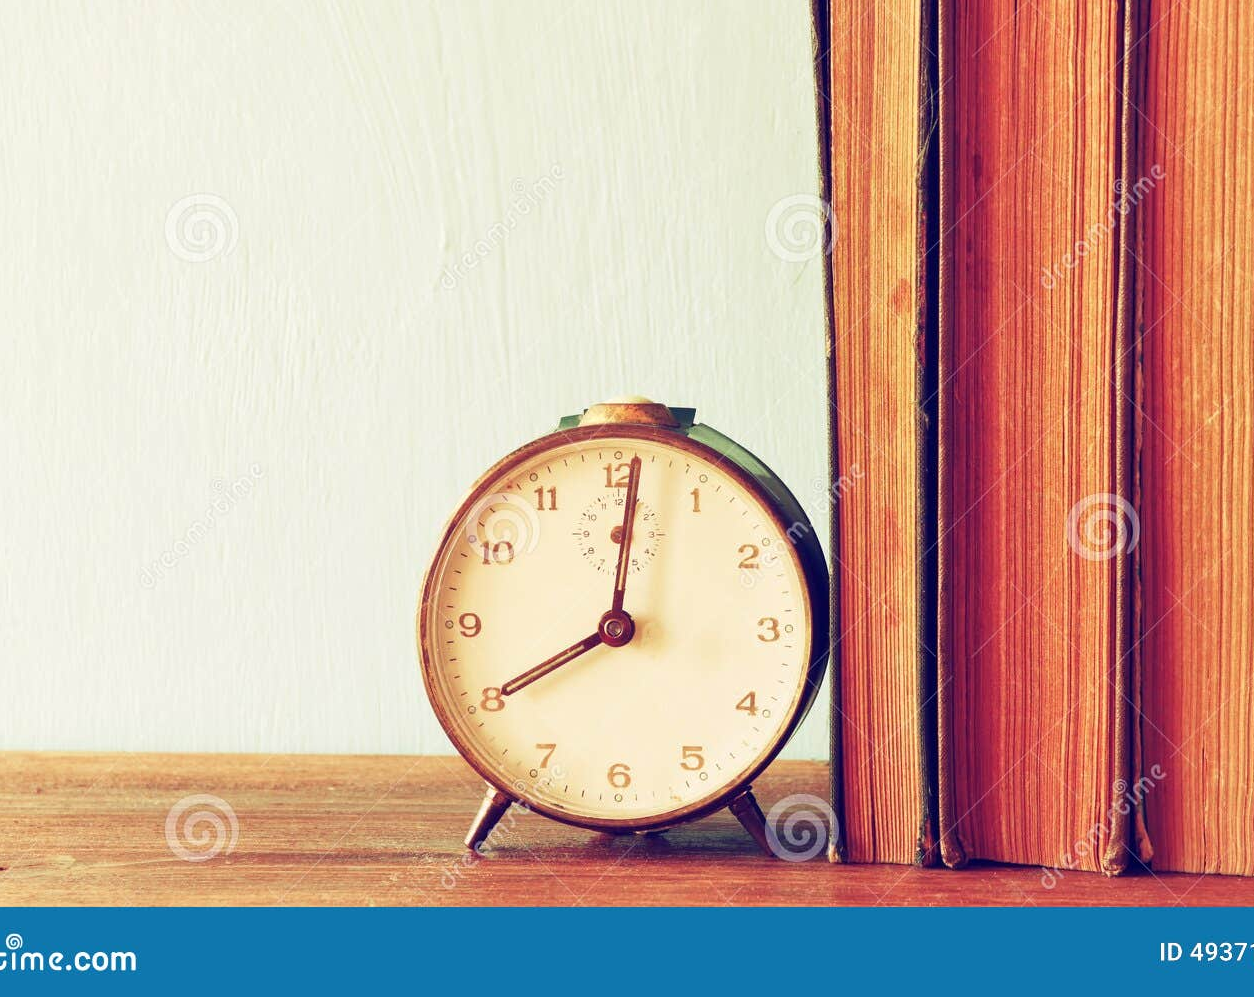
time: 8:01
